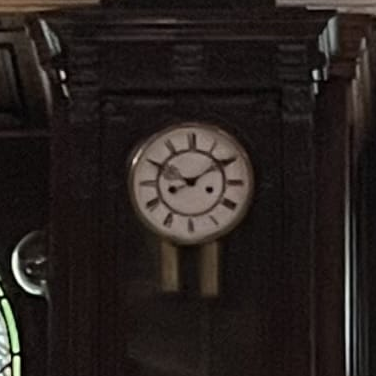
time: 8:09
